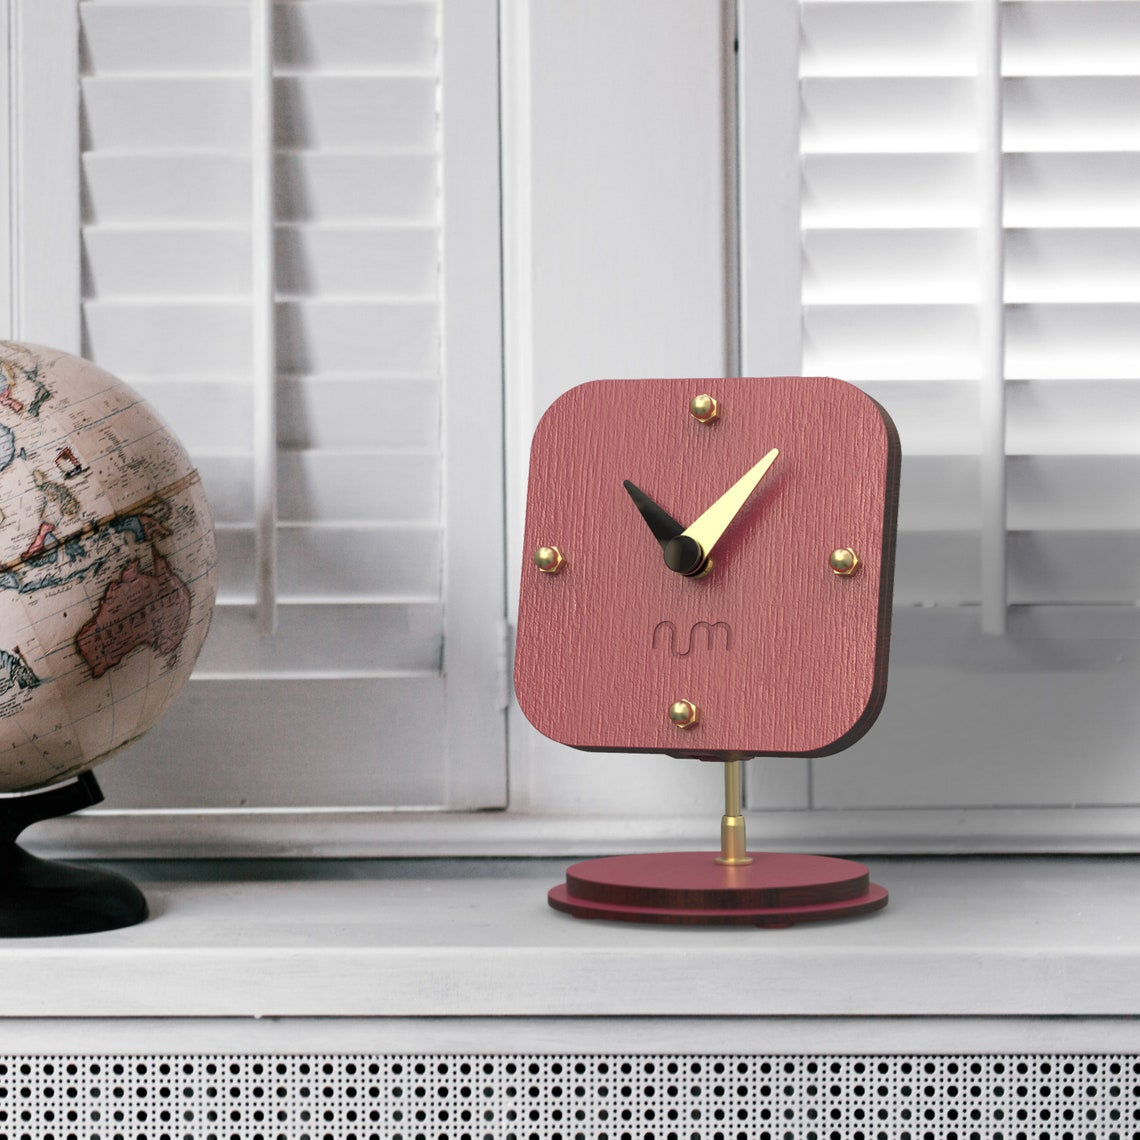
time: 10:07
